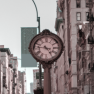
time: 4:46
